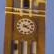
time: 4:10
